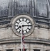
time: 8:14
